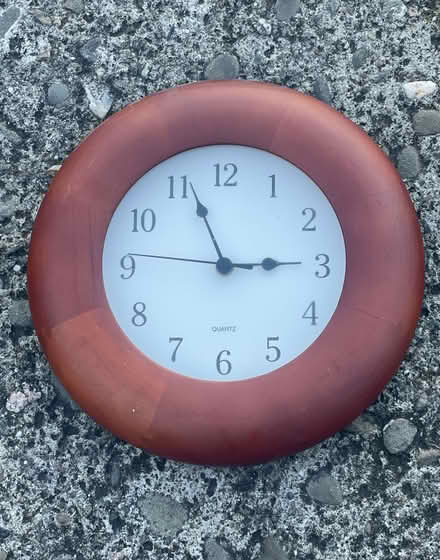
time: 2:56
